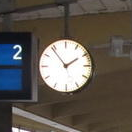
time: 1:53
